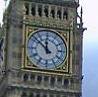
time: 11:51
